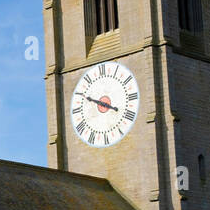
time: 3:49
